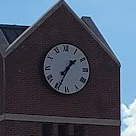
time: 1:34
